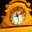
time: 5:11
